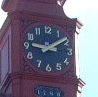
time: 9:09
